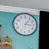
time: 3:06
